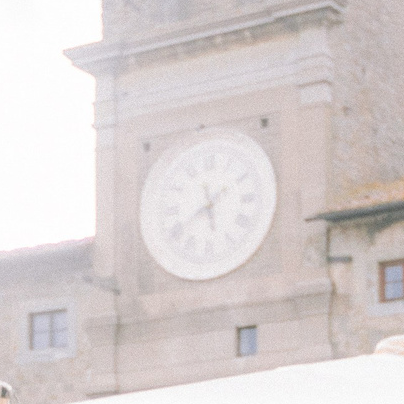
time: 5:38
